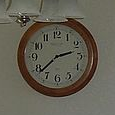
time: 2:38
